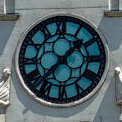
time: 1:37
